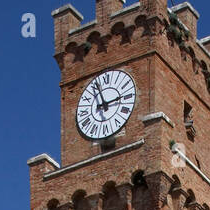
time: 2:56
